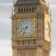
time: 8:34
